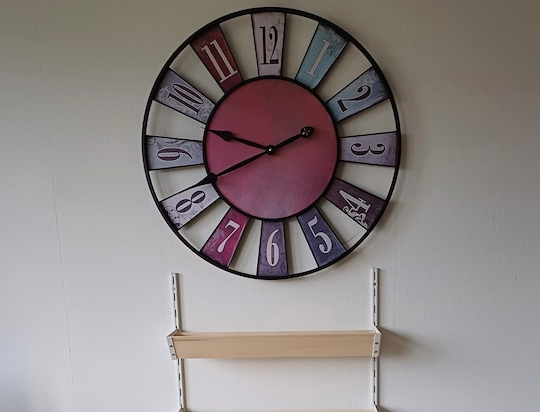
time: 9:41
